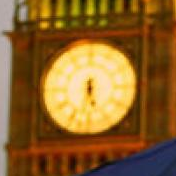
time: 5:32
